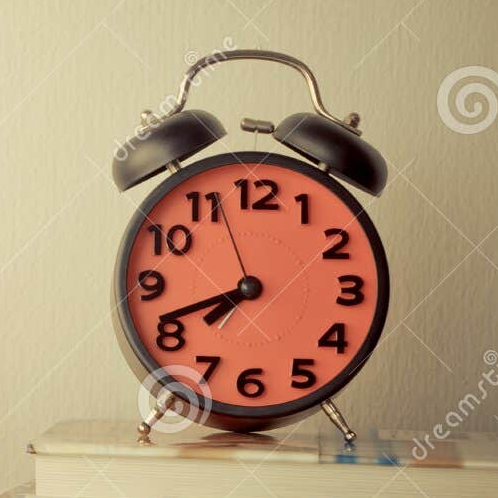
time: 7:41
